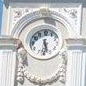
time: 5:30
